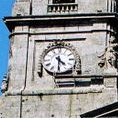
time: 4:30
